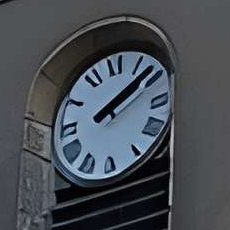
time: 2:09
